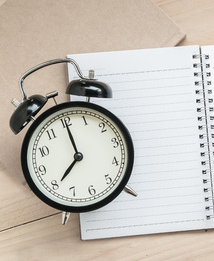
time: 8:00
